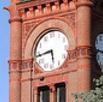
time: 5:44
